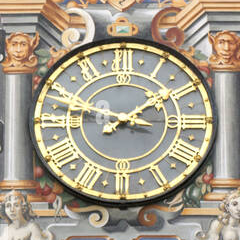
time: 1:47
